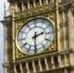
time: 2:30
